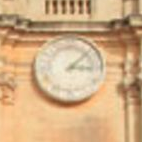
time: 3:07
